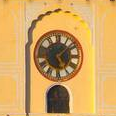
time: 5:08
